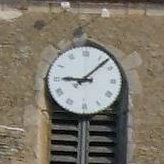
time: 9:07
